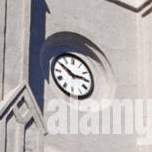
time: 2:50
